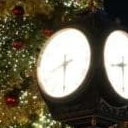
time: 8:30
